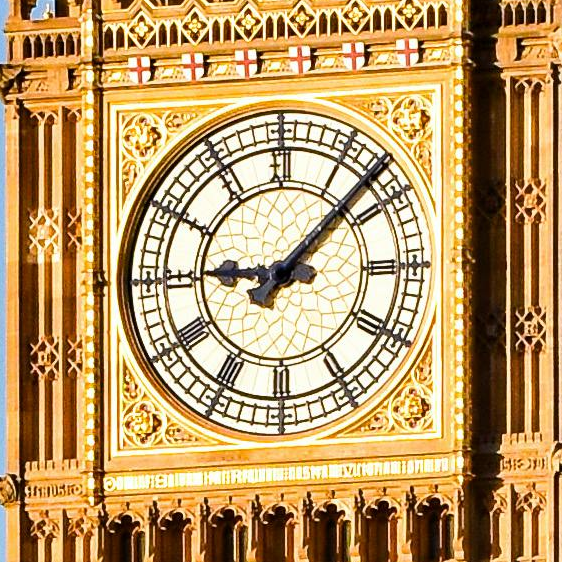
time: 9:07
